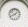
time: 1:41
